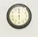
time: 5:59
